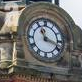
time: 11:18
